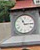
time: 11:14
